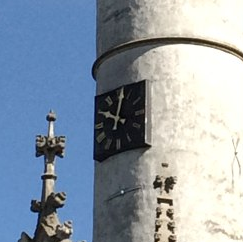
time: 10:02
